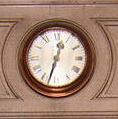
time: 12:32
